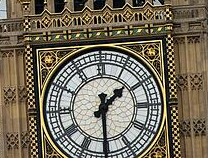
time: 1:29
